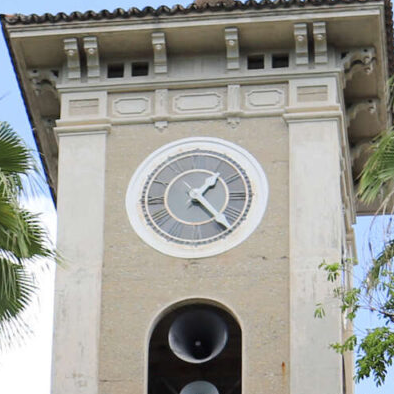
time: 1:23
